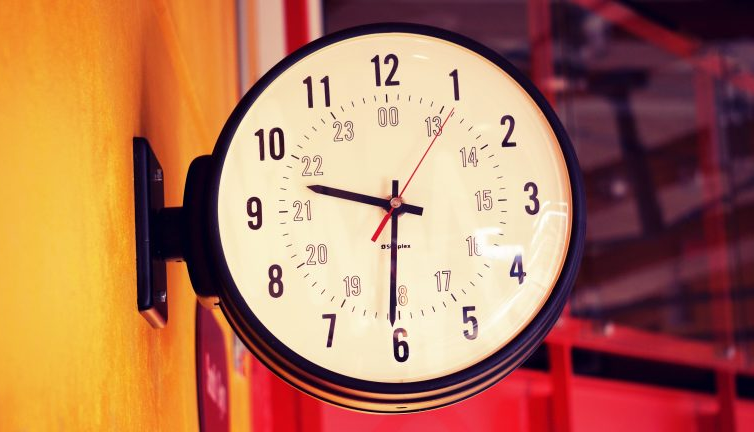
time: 9:30
